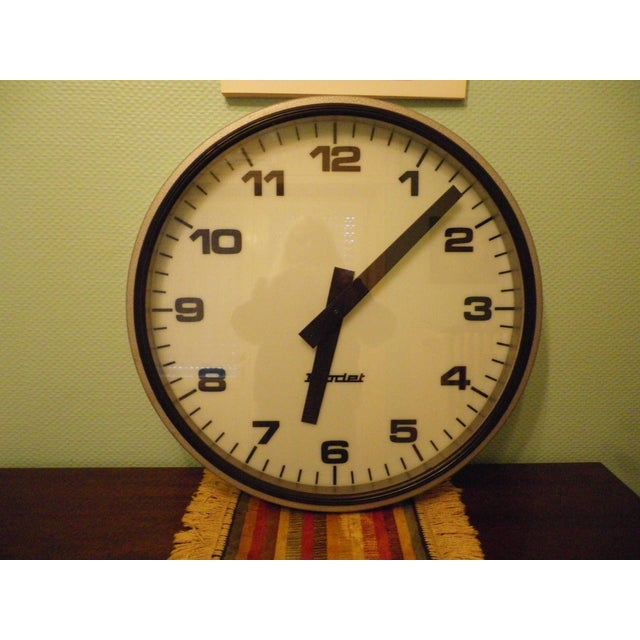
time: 6:07
